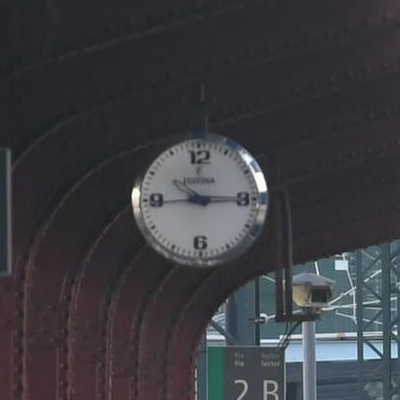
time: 10:15
